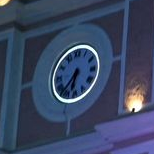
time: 6:37
